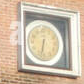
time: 6:32
